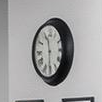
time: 11:29
